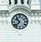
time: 10:37
